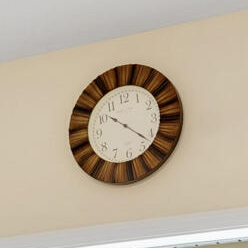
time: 10:20
